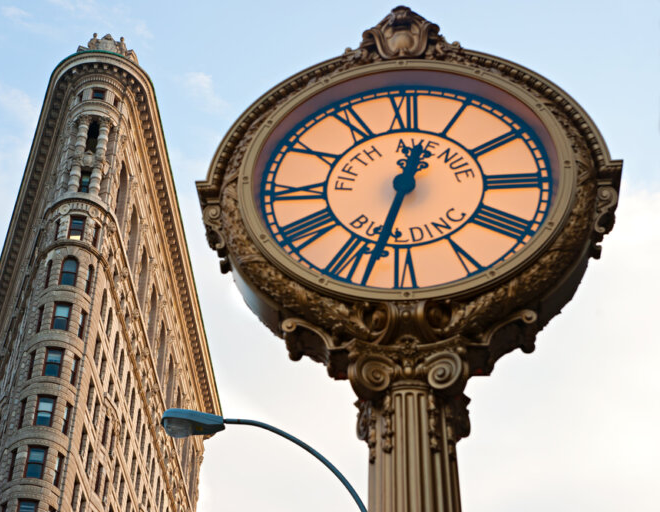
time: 12:32
